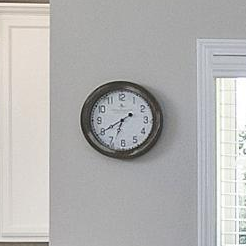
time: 6:39
